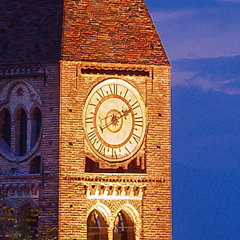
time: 8:10
